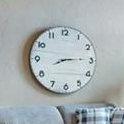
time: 8:14
